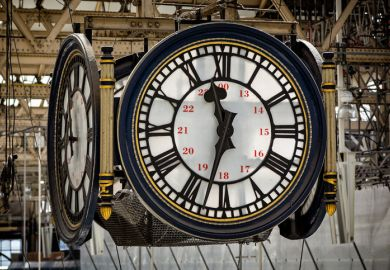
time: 11:32
